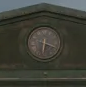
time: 6:18
